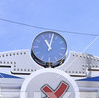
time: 11:02
